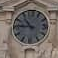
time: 10:45
